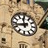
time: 11:42
